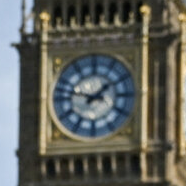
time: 1:47
